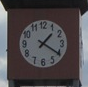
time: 1:20
